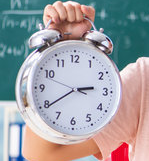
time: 2:39
